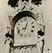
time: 8:03
